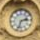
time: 2:33
